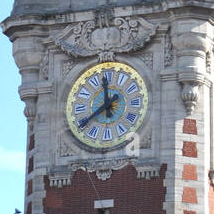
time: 11:39
